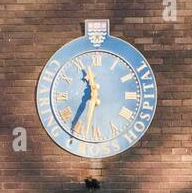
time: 11:35
